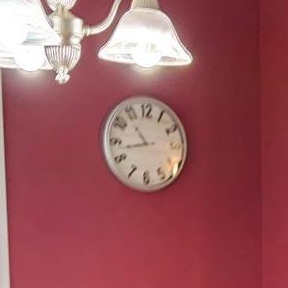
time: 10:42
